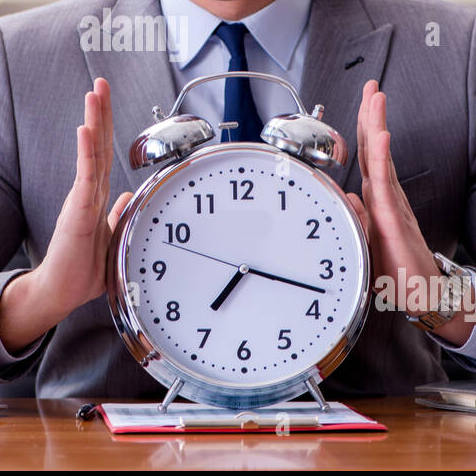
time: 7:17
